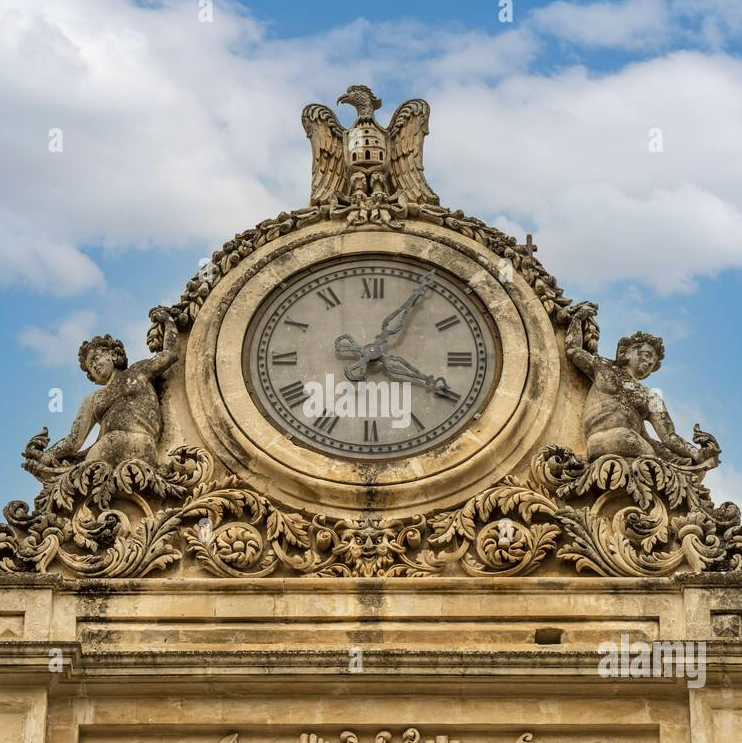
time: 4:04
